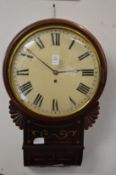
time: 10:14
